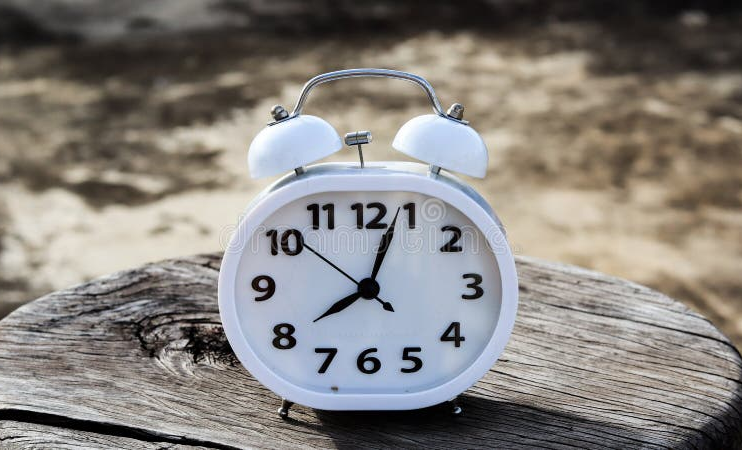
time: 8:03
